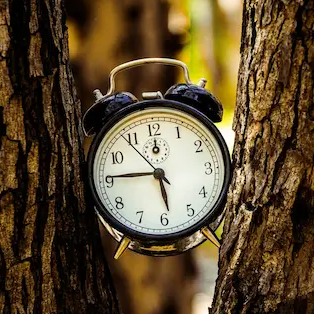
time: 5:45
